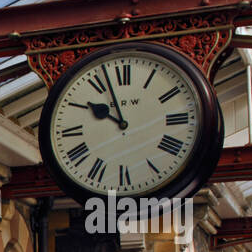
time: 9:57
